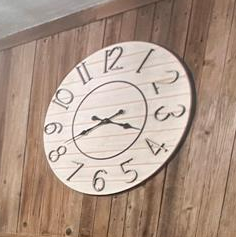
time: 3:41
